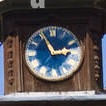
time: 2:55
